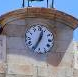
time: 12:34
